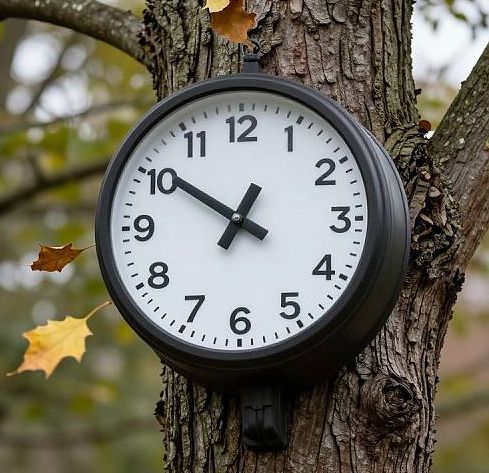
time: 12:50
